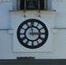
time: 2:58
